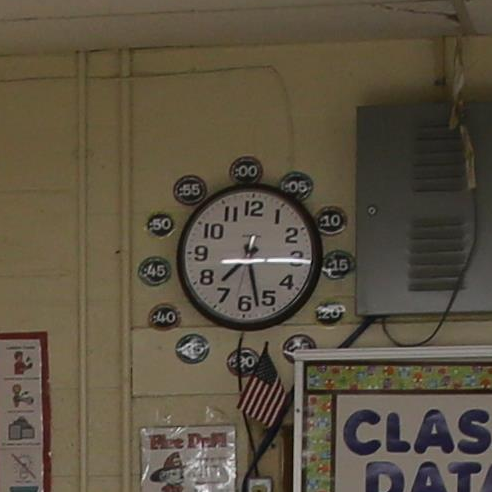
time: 7:27
